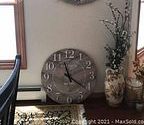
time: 11:21
